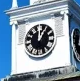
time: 12:04
